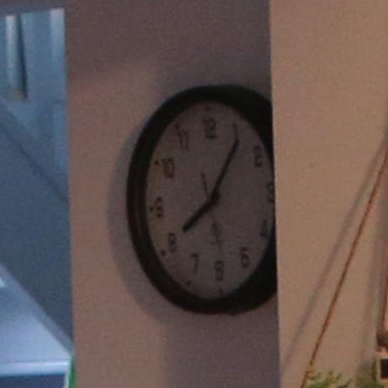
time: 8:06
